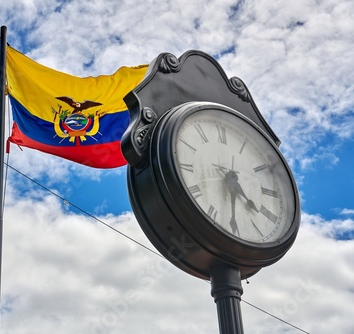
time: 4:31
